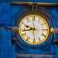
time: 9:43
